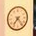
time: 7:23
